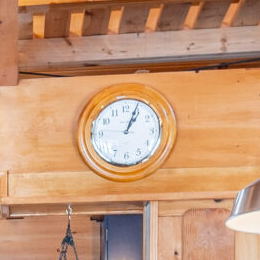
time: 1:03
